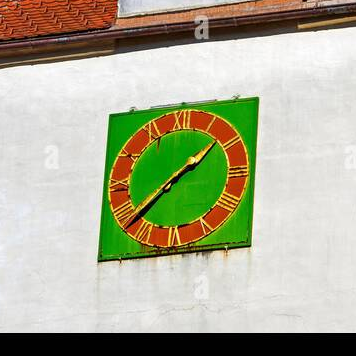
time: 1:37
